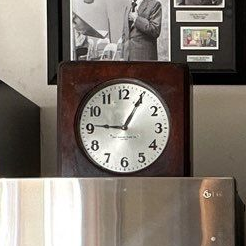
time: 9:05
